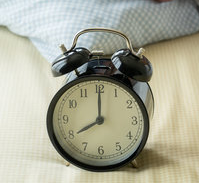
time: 8:00
